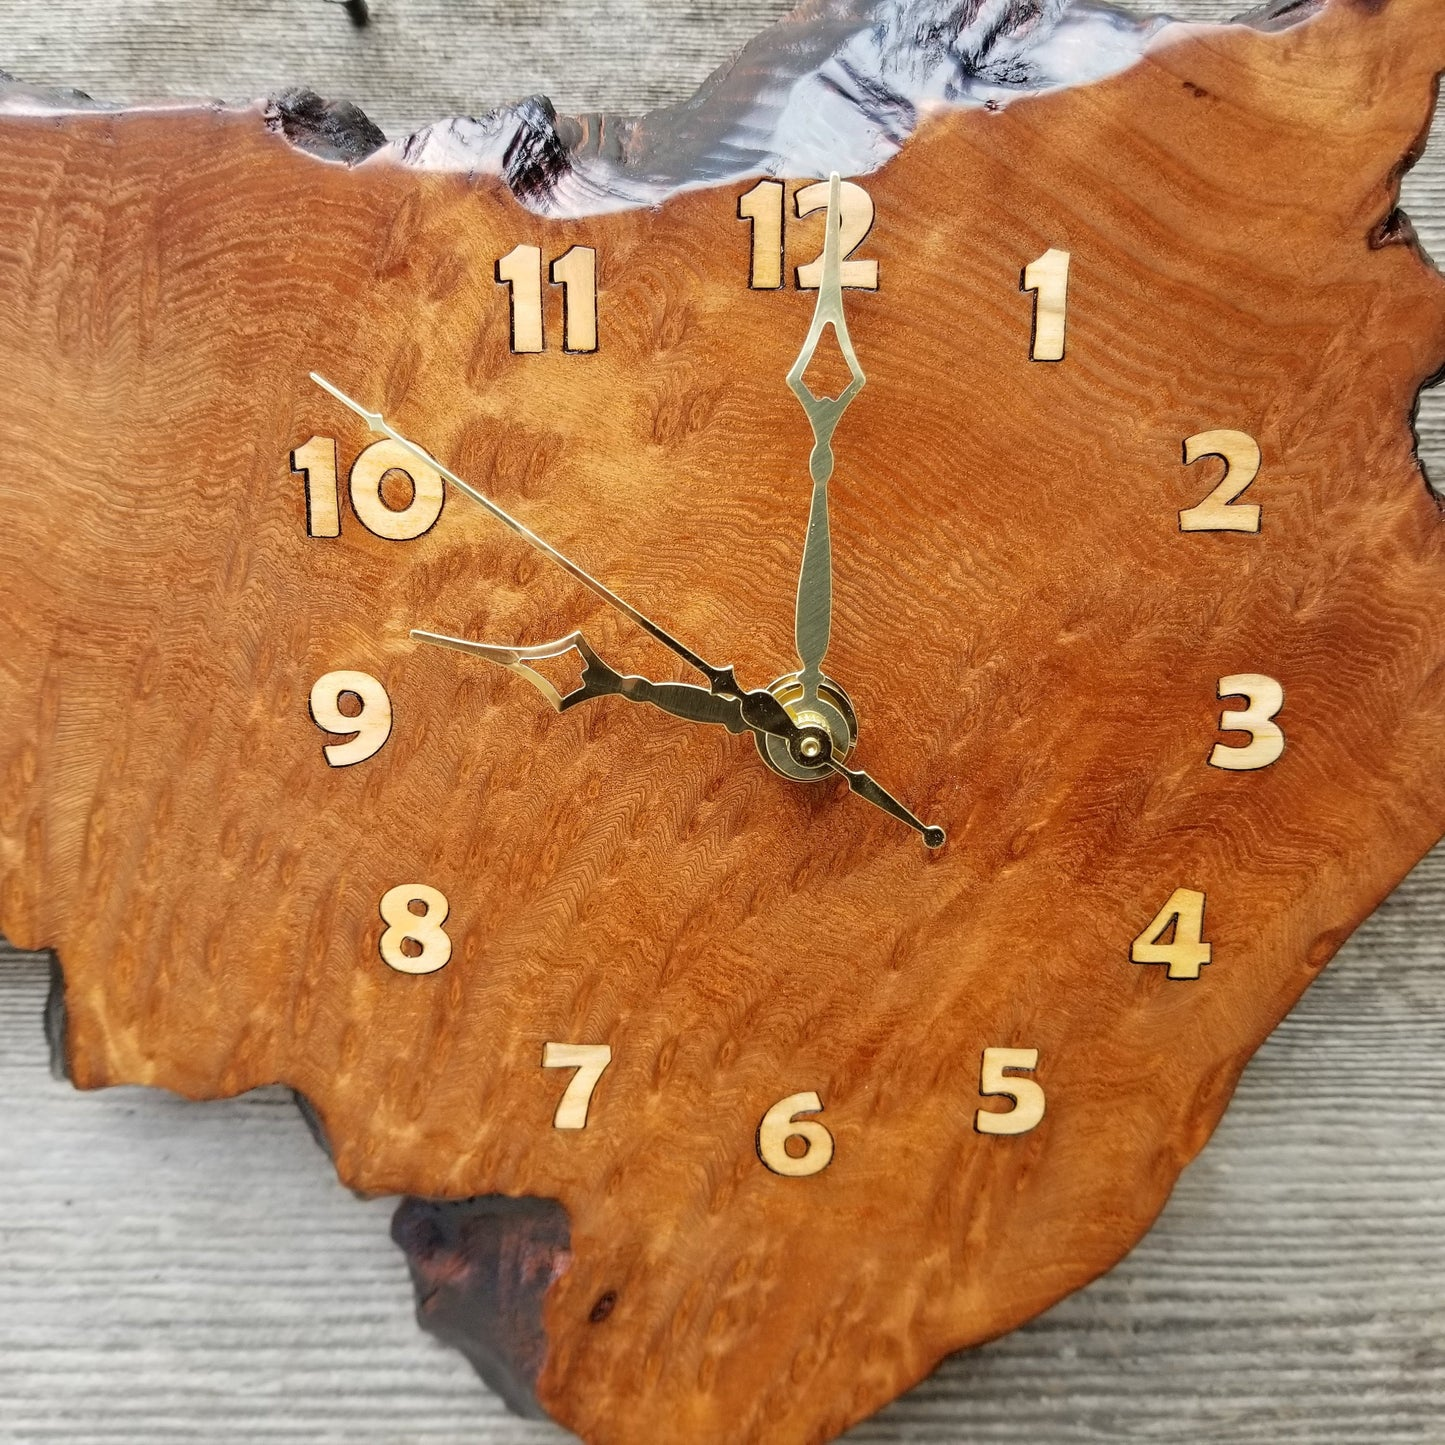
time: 9:00
